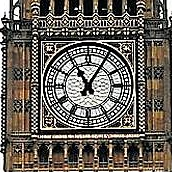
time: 11:05
